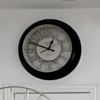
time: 12:49
